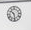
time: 10:28
